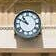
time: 10:50
